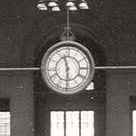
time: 5:57
